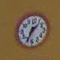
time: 1:33
